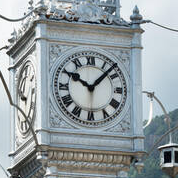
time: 10:07
